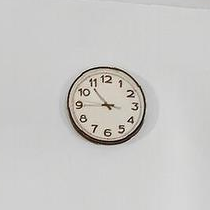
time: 10:45
